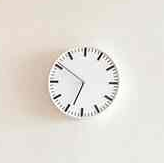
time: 6:50
